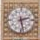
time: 2:28
